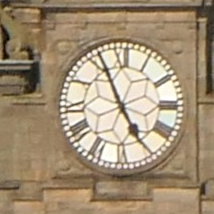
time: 4:56
